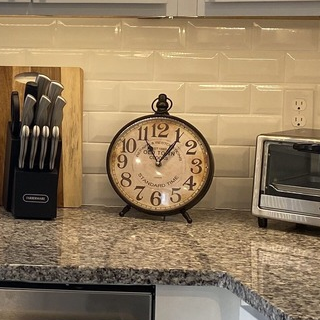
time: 11:06
